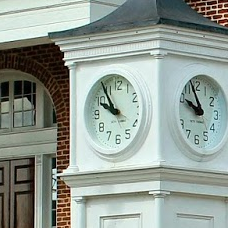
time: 9:54
